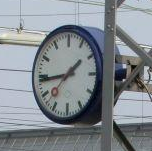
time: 1:44
